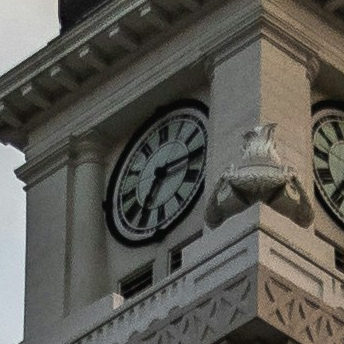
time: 7:15
